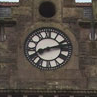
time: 8:12
